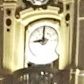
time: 9:00
